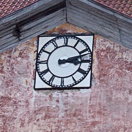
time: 3:12
